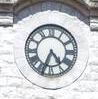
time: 4:34
